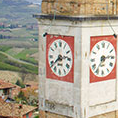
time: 2:38
